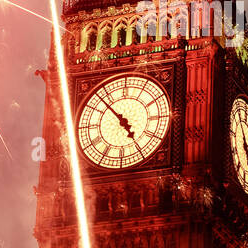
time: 4:52
